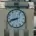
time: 8:42
